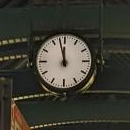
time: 11:57
